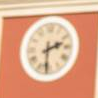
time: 2:31
